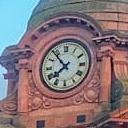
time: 7:53
